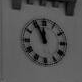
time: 11:55
